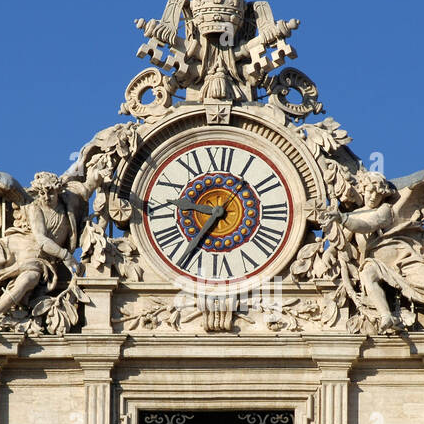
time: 9:35
